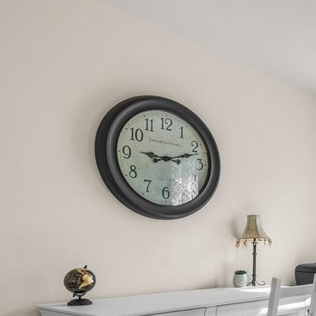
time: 9:12
